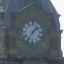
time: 1:35
